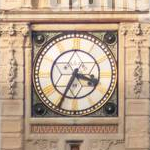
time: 3:34
